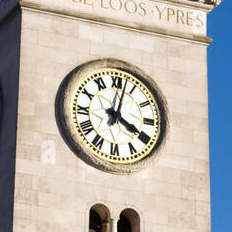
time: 4:02
